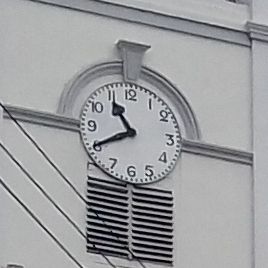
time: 10:40
